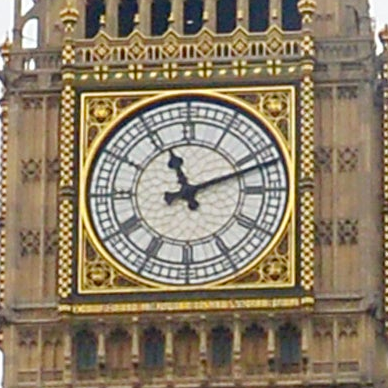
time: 11:11
